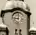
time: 9:01
